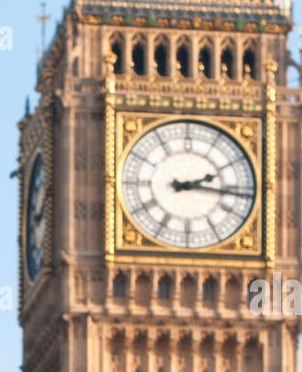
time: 2:16
